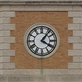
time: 4:06
